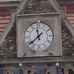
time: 11:38
